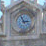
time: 2:56
